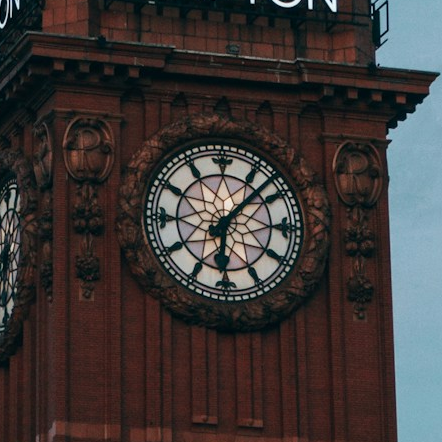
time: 6:07
